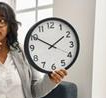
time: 1:50
